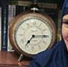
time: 7:14
